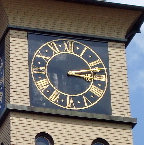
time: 3:12
